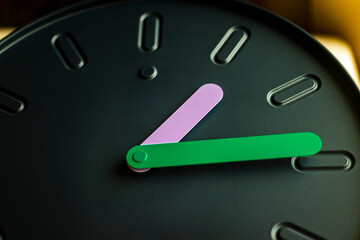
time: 1:14
